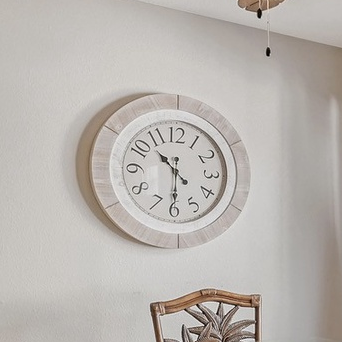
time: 10:30
